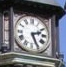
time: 2:25
